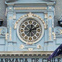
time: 12:11
